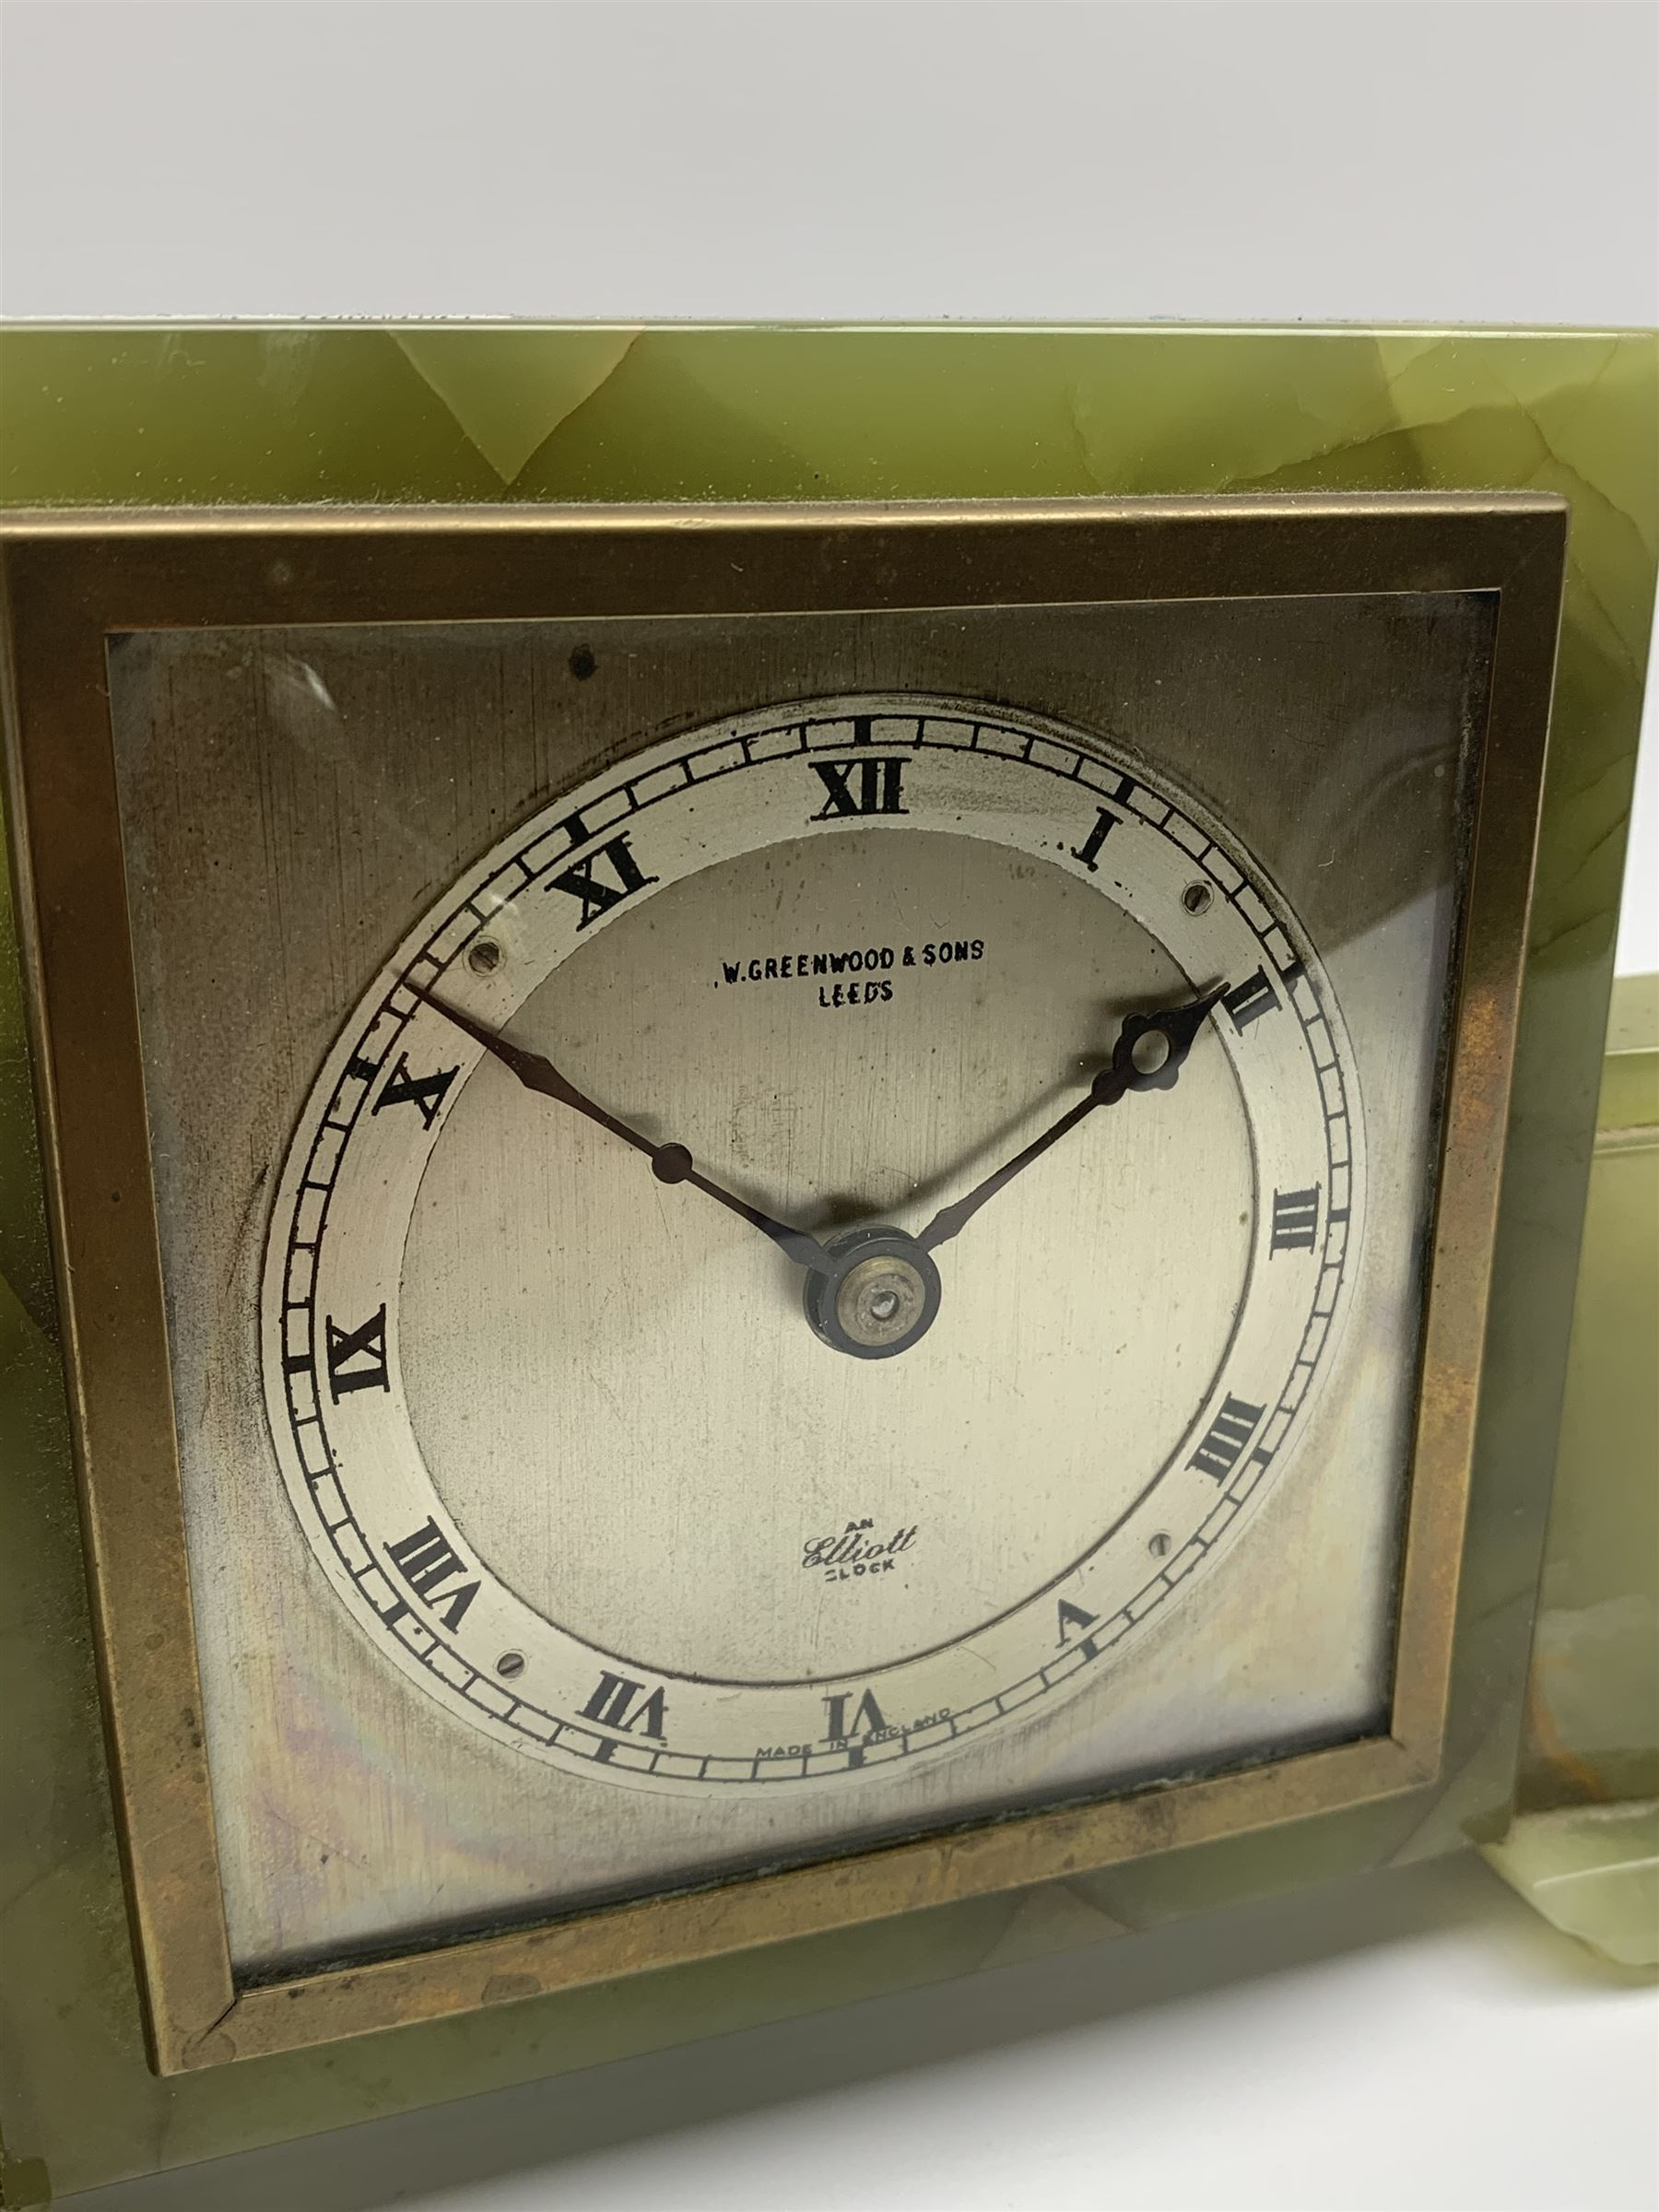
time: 1:51
